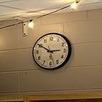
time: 2:50
